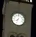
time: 7:32
